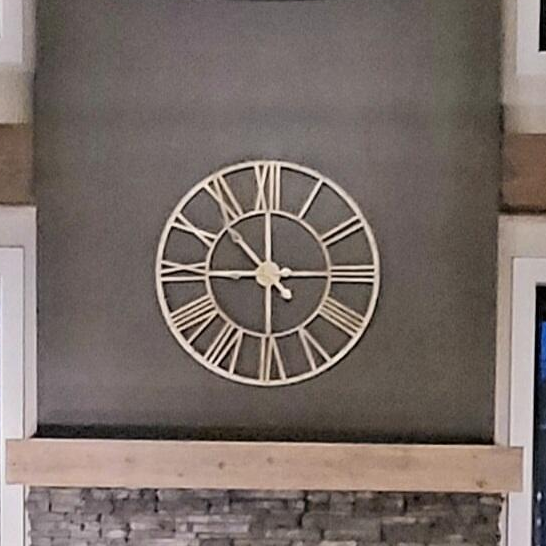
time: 10:45
